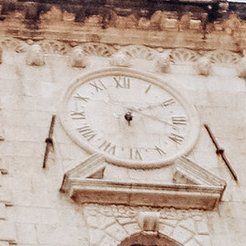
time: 6:10
